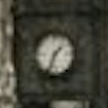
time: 1:33
